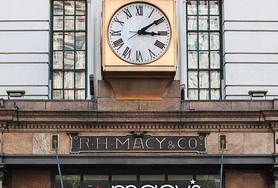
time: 3:09
